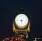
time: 9:30
